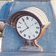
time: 7:54
